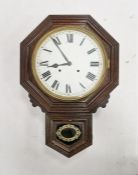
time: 8:54
